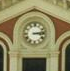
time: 3:13
